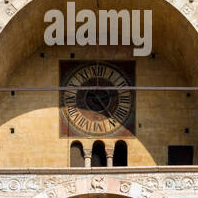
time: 2:24
